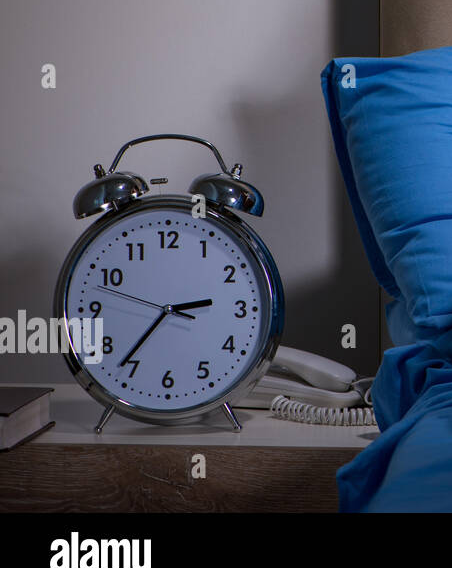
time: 2:36
